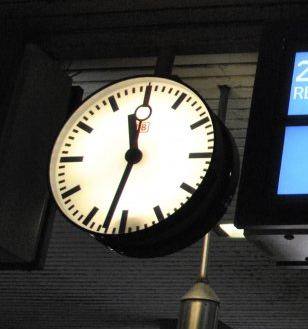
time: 11:32
